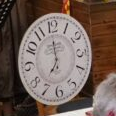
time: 7:00
